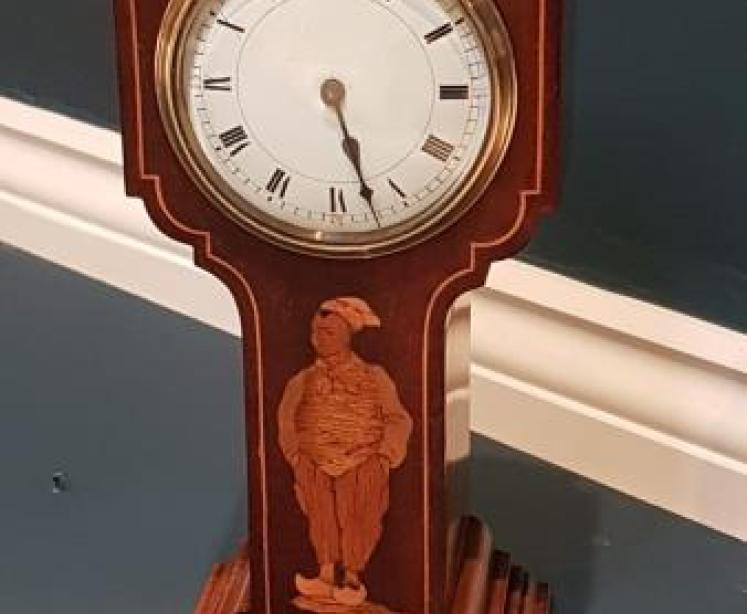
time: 5:27
